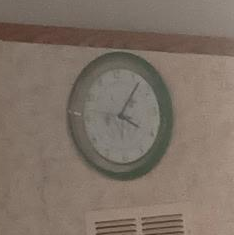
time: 4:06
